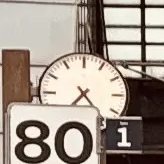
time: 7:23
